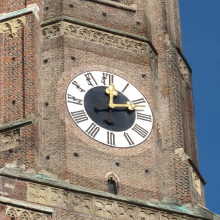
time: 12:12
